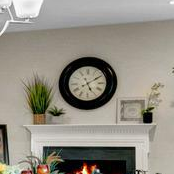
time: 5:09
